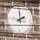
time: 1:59
